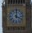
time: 4:00
